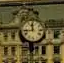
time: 11:43
